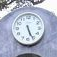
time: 5:26
